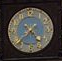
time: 4:38
